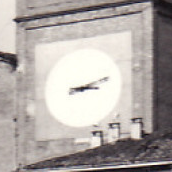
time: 3:12
